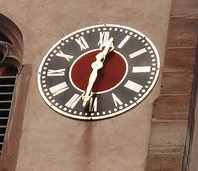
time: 12:31
